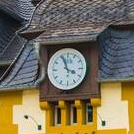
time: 3:56
